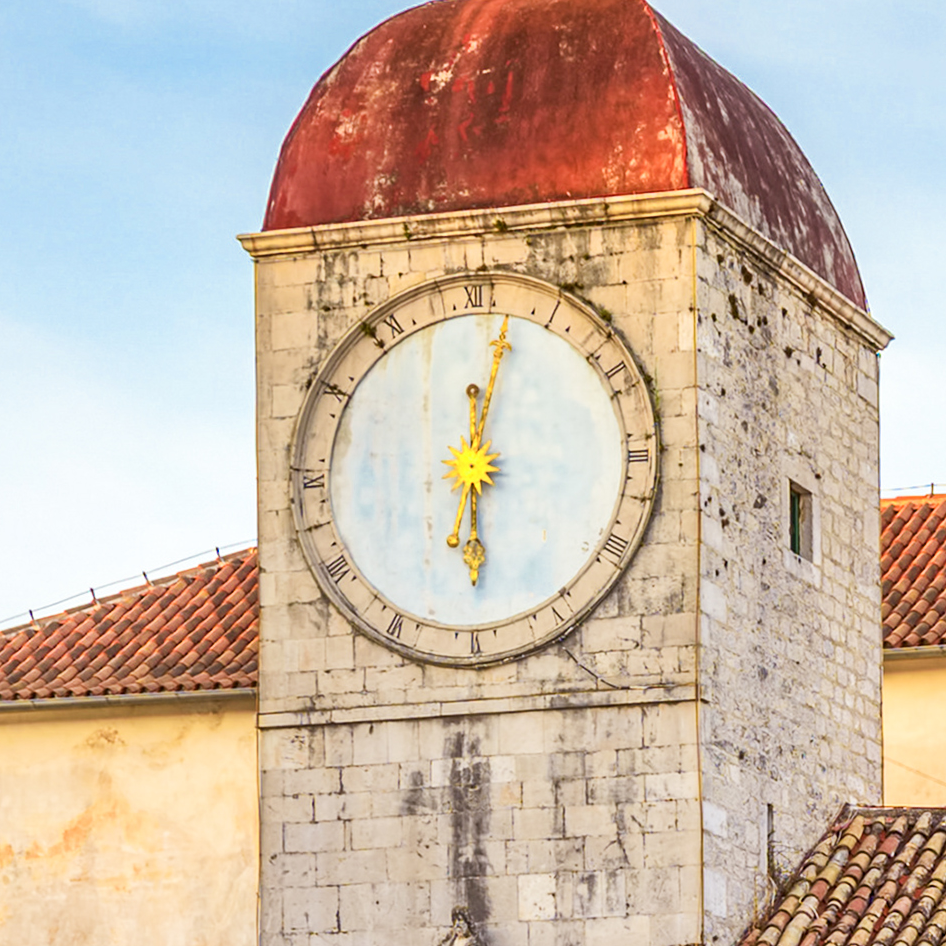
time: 6:02
